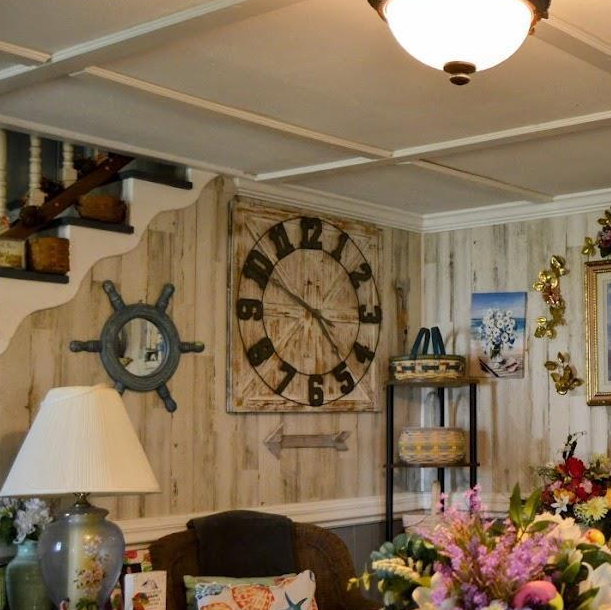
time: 4:49
